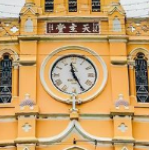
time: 4:58
